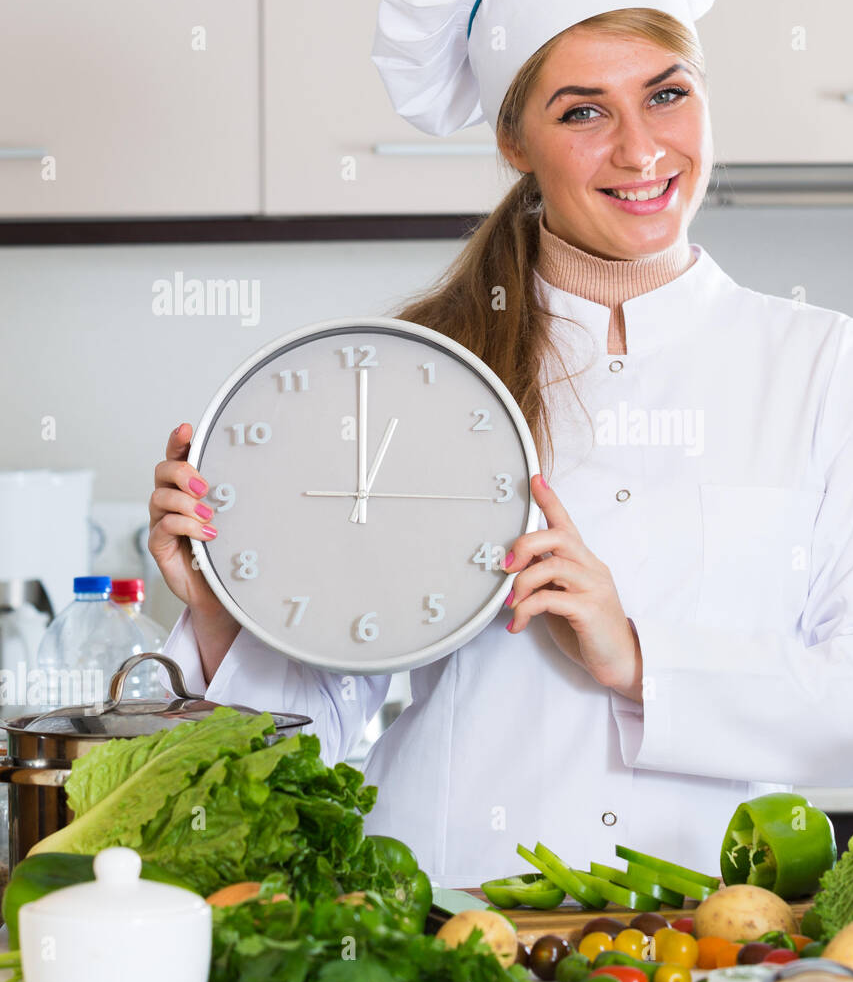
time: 1:00
